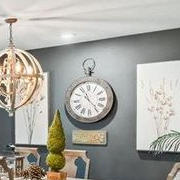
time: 11:23
